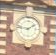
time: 1:46
